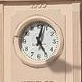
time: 5:02
